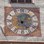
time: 6:24
